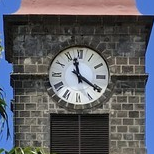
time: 11:20
